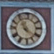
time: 11:21
